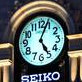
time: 5:03
